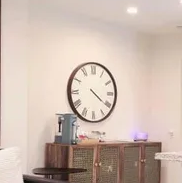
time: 4:20
